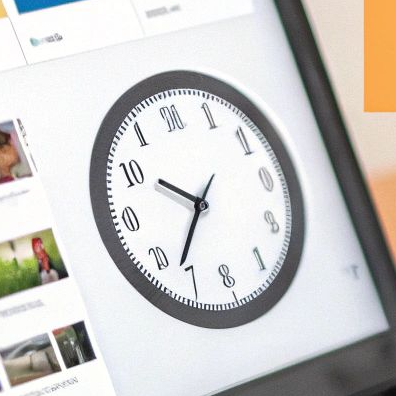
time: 9:36
